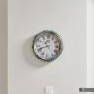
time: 10:41
